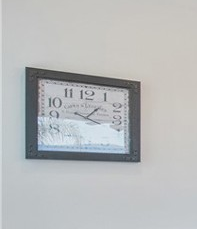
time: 1:18
